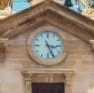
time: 3:26
